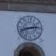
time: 2:42
